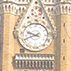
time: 9:41
